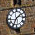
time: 1:34
